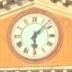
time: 6:07
